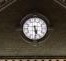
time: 5:29
